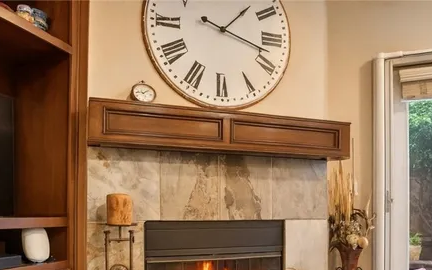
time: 1:17
